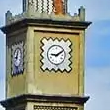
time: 9:09
